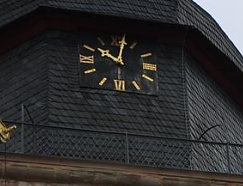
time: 10:01
